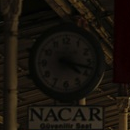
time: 4:17
